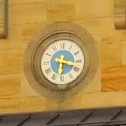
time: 6:18
